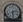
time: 2:29
